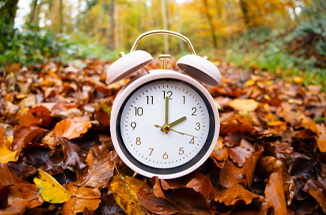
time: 2:00
